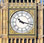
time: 10:17
